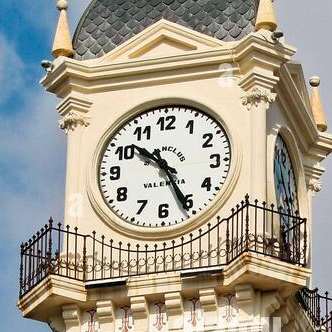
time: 10:25
